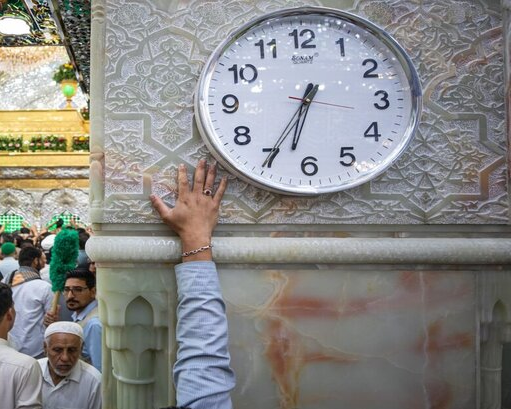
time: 6:35
